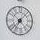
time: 7:07
